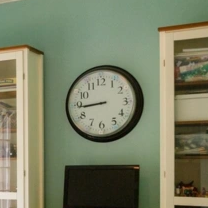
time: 8:44
